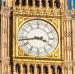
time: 3:43
